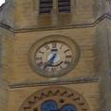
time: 6:36
